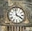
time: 3:58
